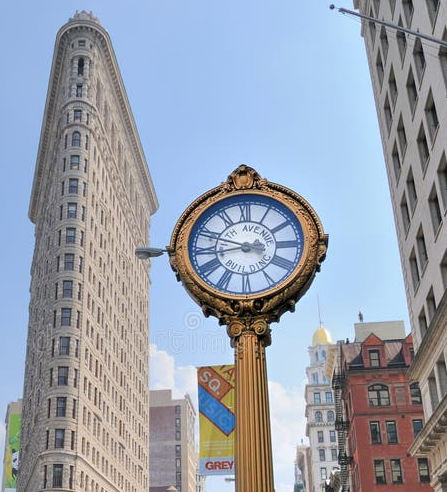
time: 8:48
